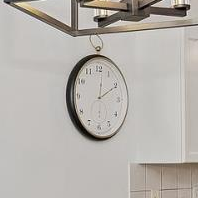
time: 12:10
